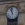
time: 10:58
